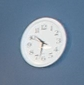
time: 10:32
